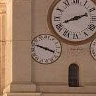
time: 3:48
